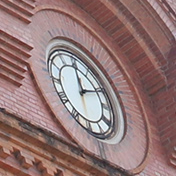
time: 12:11
